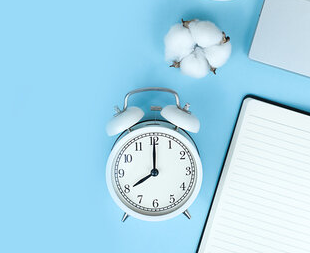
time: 8:00
